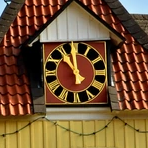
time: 10:59
